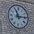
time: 11:13
